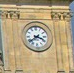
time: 3:38
